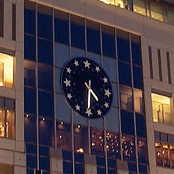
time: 4:30
